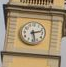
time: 2:27
